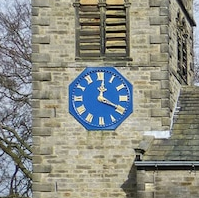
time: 12:19
